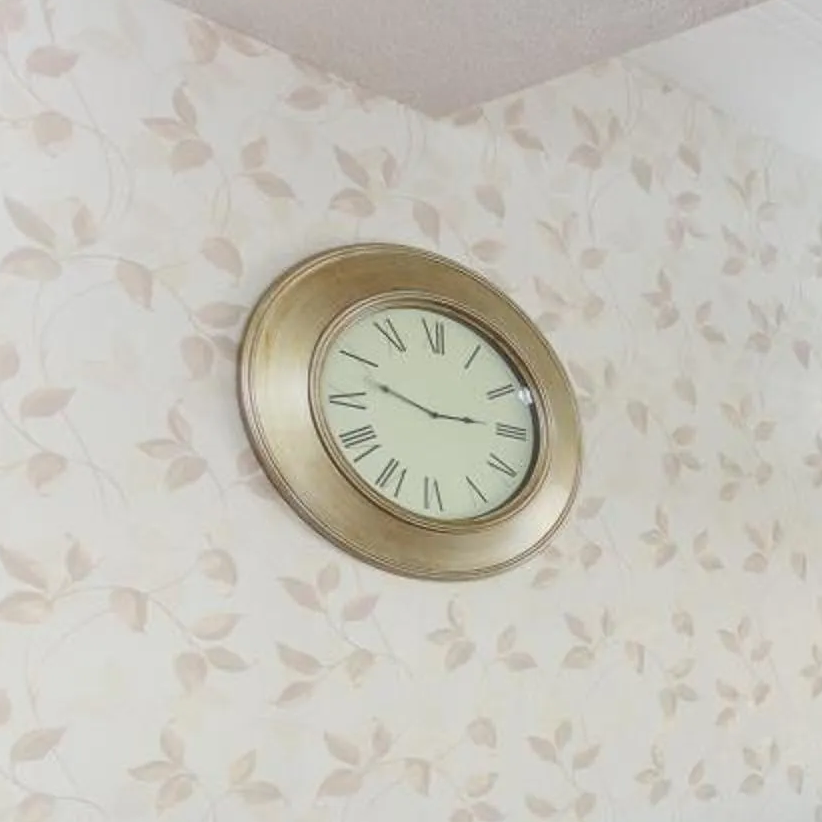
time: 2:48
